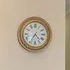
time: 4:34
